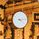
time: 4:13
